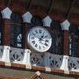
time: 1:16
